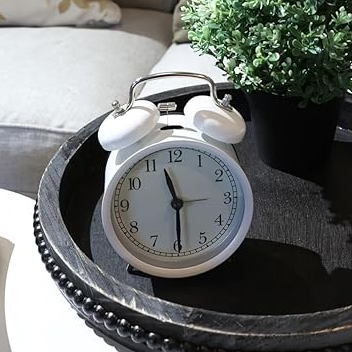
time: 11:29
